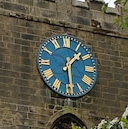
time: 1:28
